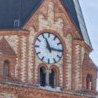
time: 11:15
